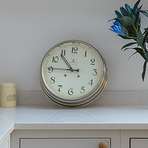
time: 10:45
